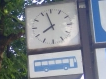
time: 7:57
